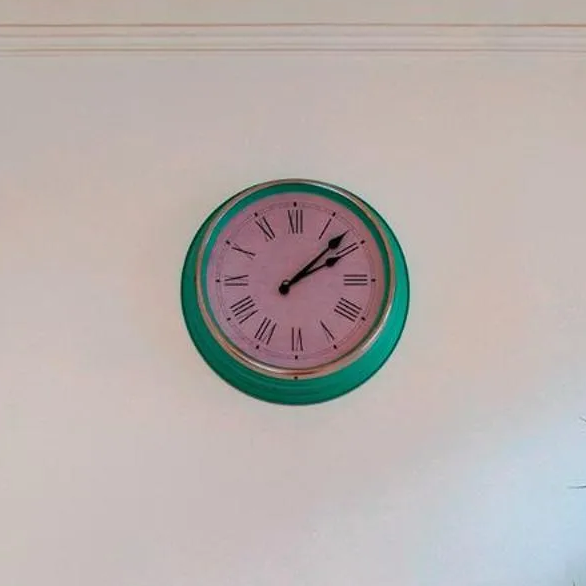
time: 2:07
